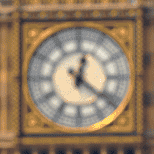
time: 12:21
